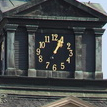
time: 1:03
